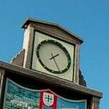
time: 1:24
